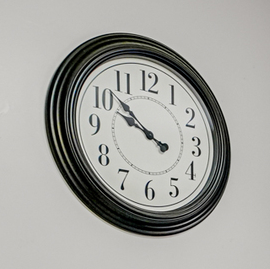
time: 9:51
